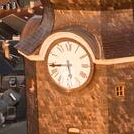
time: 5:43
